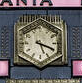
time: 5:18
